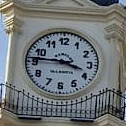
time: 3:46
